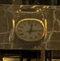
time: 12:14
